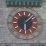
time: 6:07
